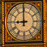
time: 8:59
